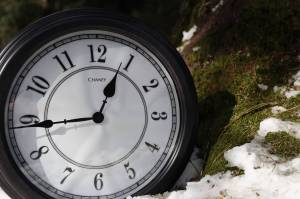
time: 12:44
